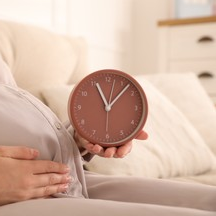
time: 11:07
